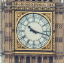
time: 10:17
